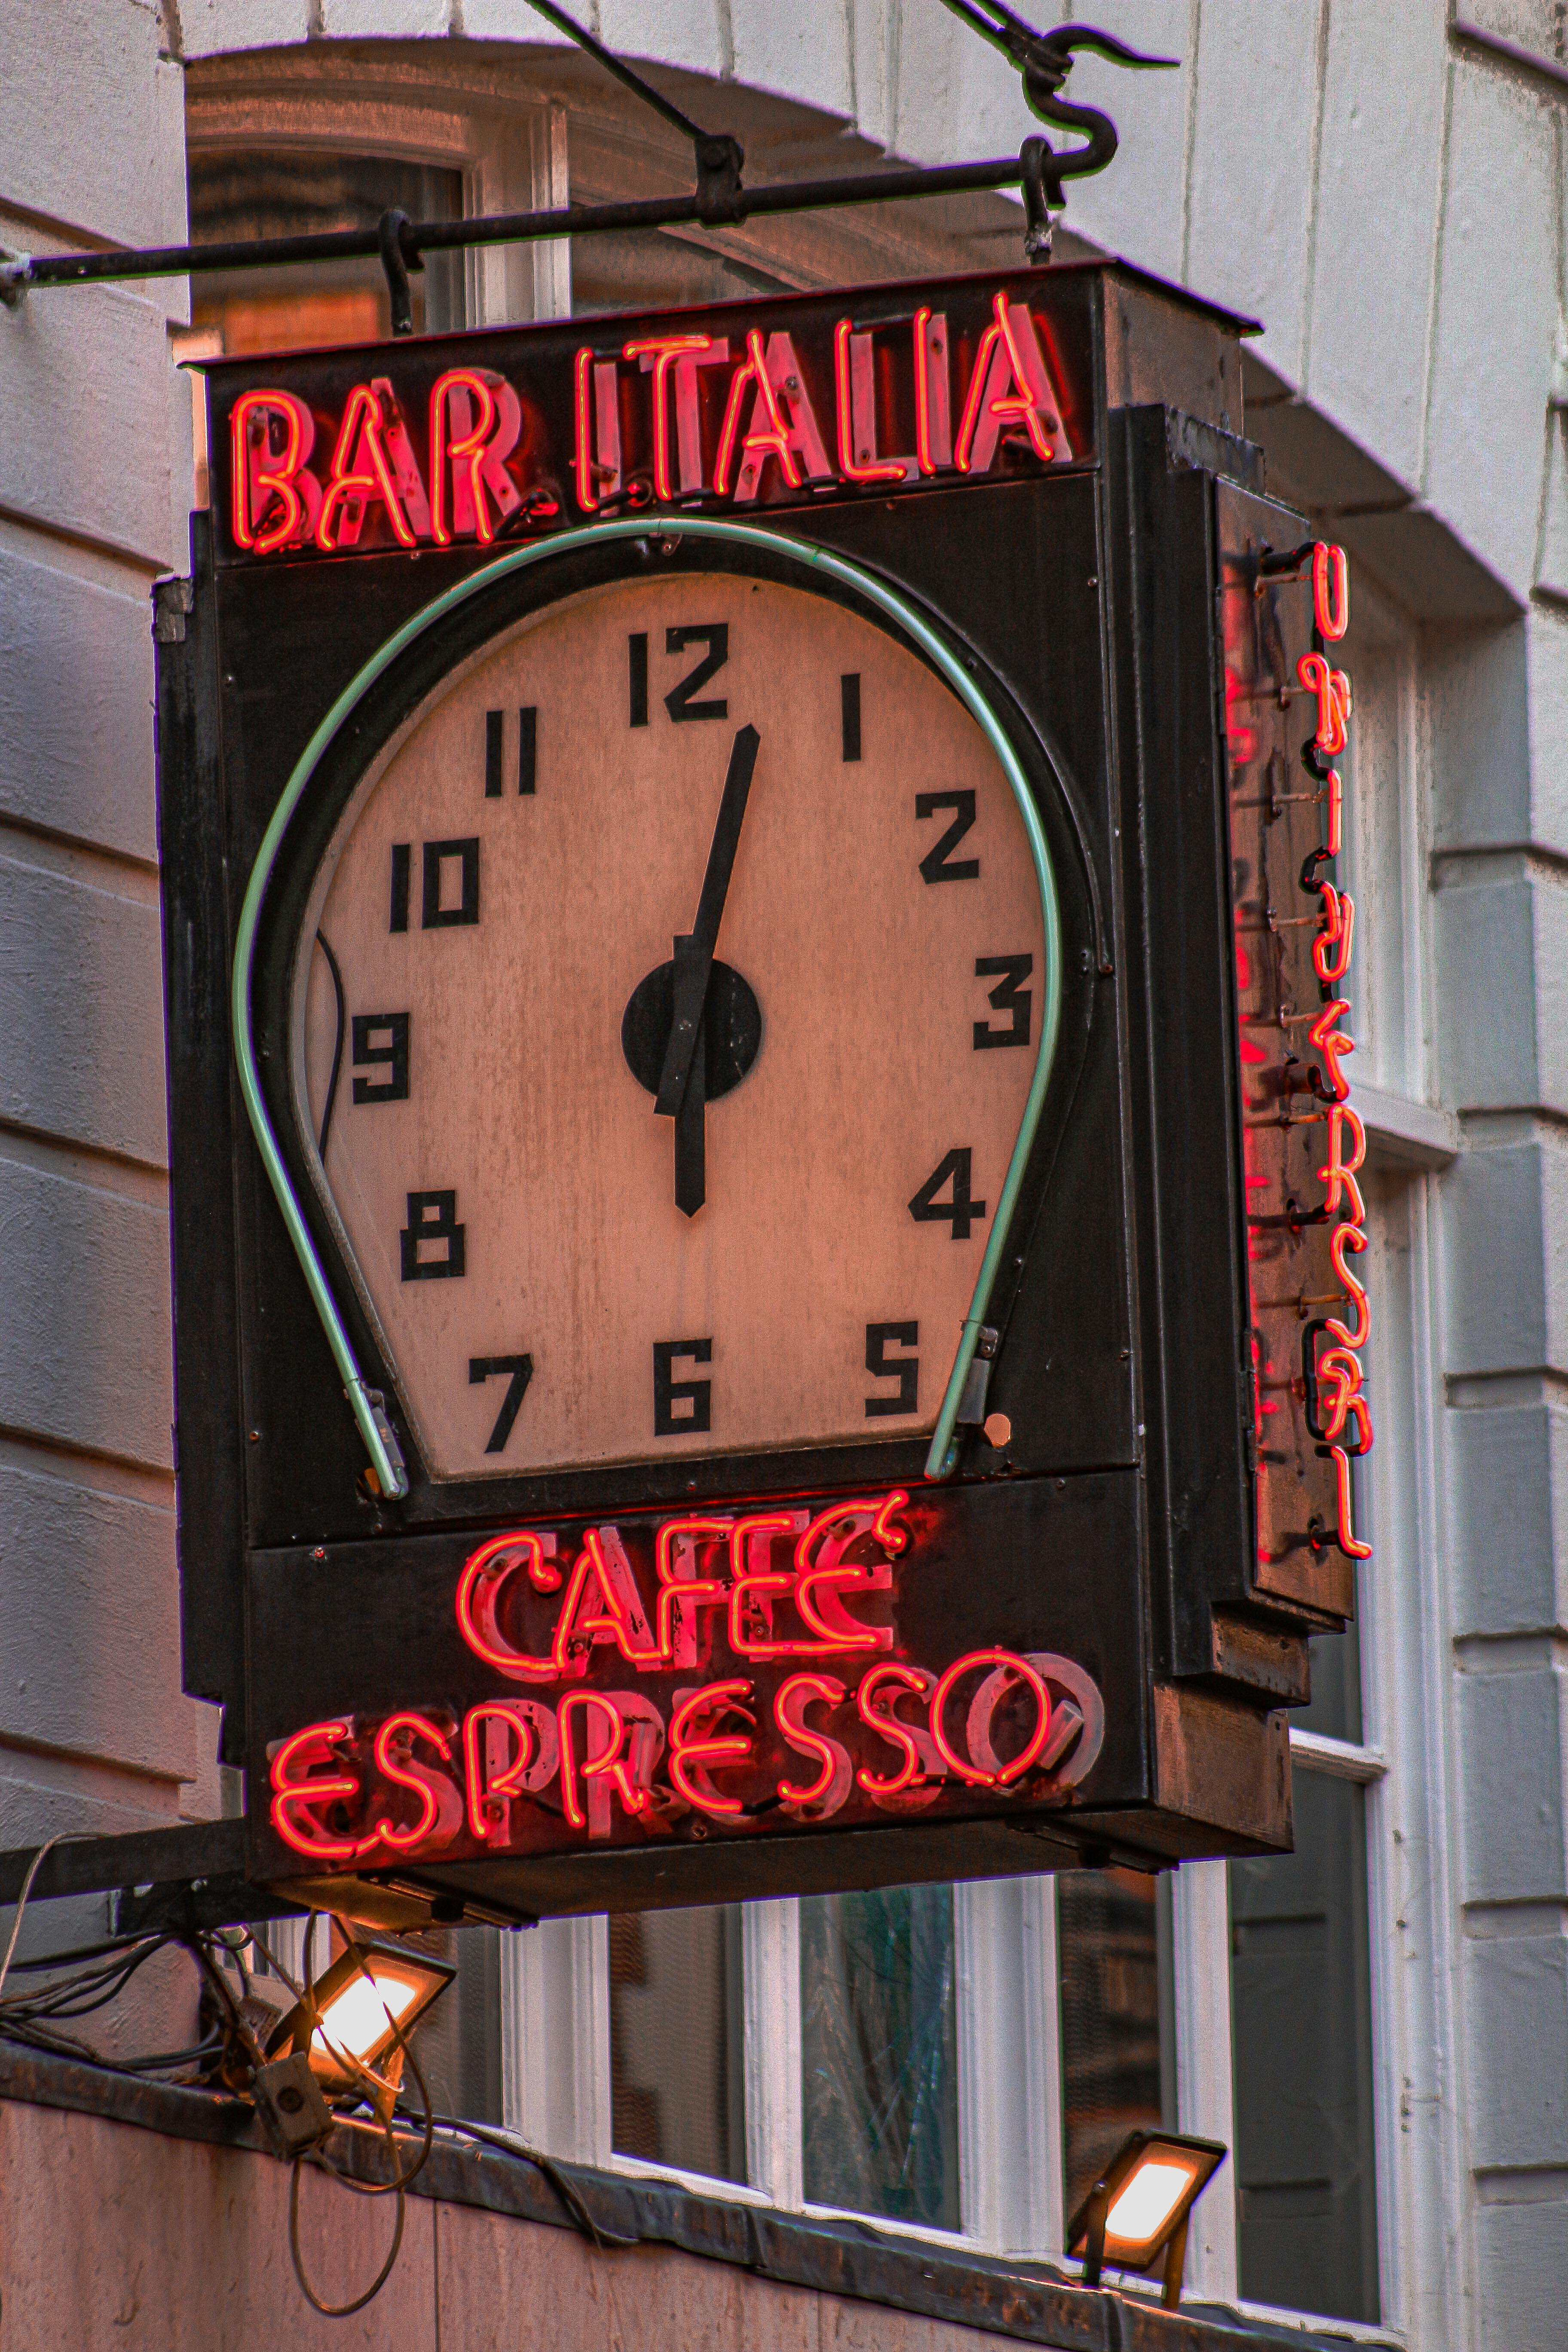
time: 6:02
